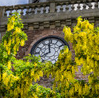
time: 7:59
